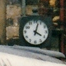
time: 4:02
